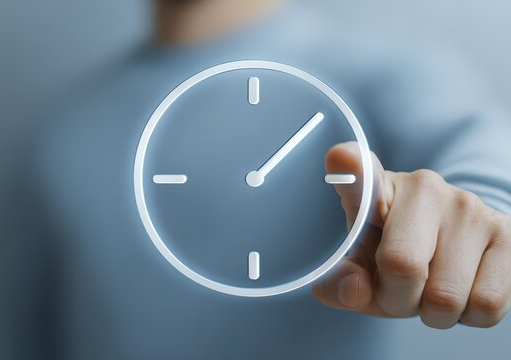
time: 1:07
